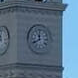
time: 11:40
